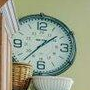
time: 1:37
